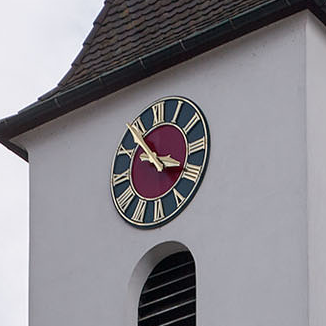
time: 3:53
